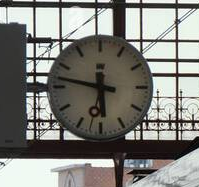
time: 5:47
